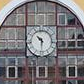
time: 10:30
